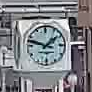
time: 1:47
